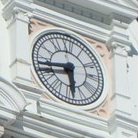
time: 5:42
